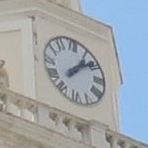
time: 1:08
